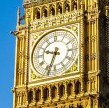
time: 9:33
